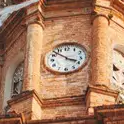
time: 3:52
